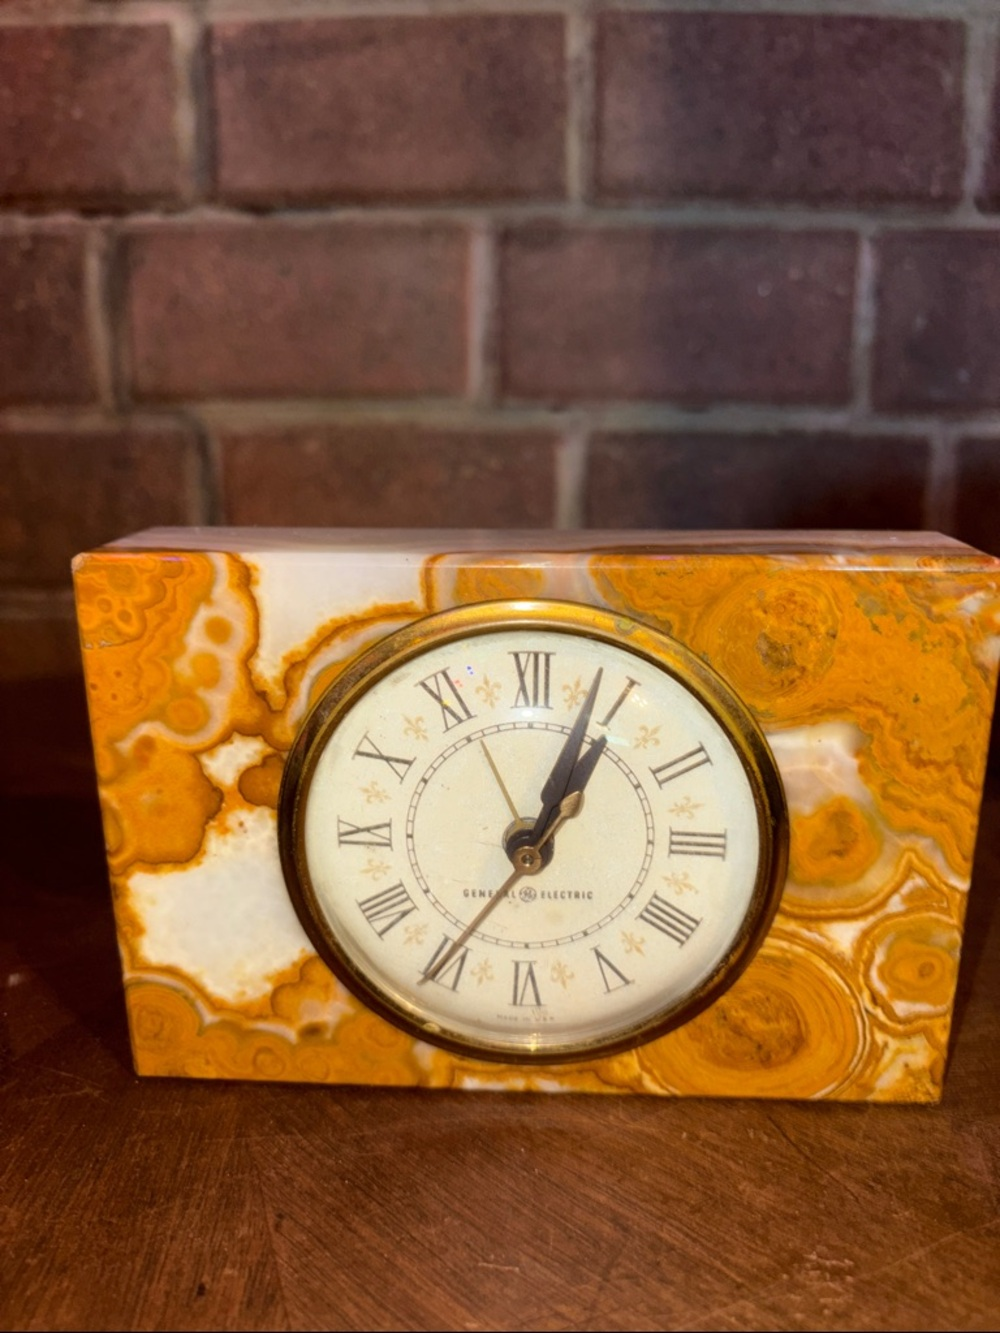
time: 1:03
